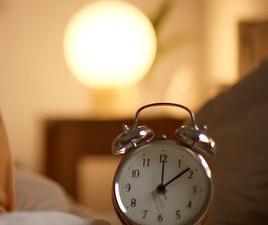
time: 12:08
